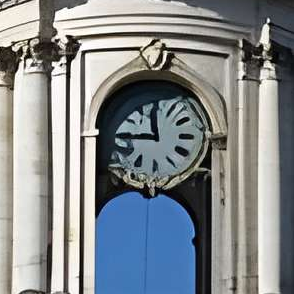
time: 11:44
